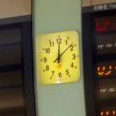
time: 12:08
